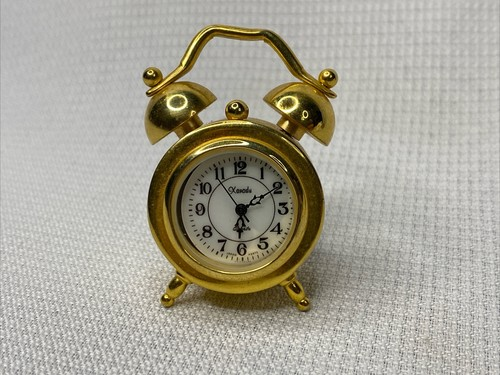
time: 6:10
